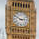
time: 2:50
